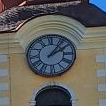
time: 2:06
